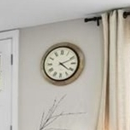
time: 4:11
